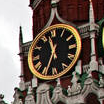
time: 11:34
